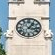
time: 1:16
